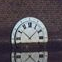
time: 10:08
